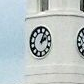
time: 2:04
